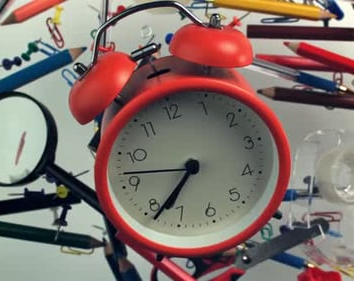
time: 7:38
